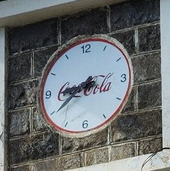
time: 8:39
